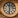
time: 11:31
